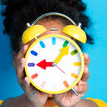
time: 9:06
